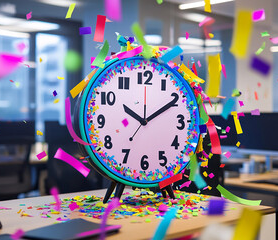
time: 10:09
